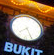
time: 7:25
